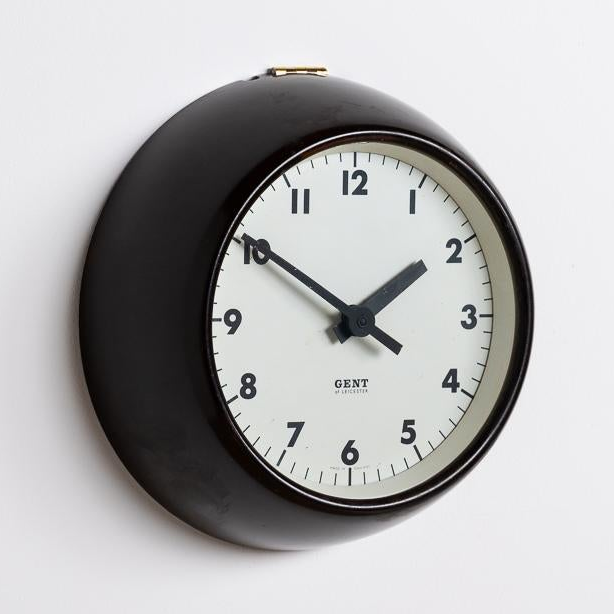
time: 1:50
